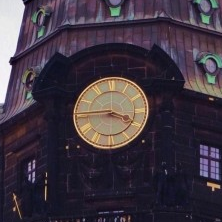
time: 3:45
